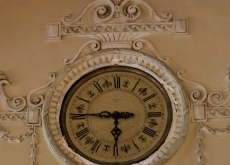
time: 5:45
